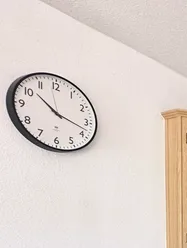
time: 10:17
